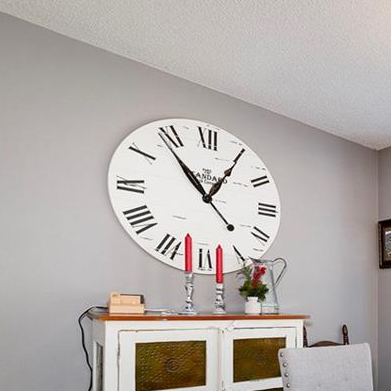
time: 12:53
